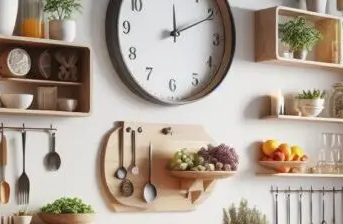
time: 12:10
